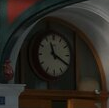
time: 11:19
